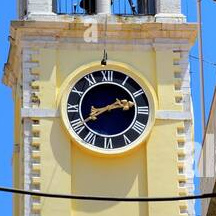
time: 2:40
